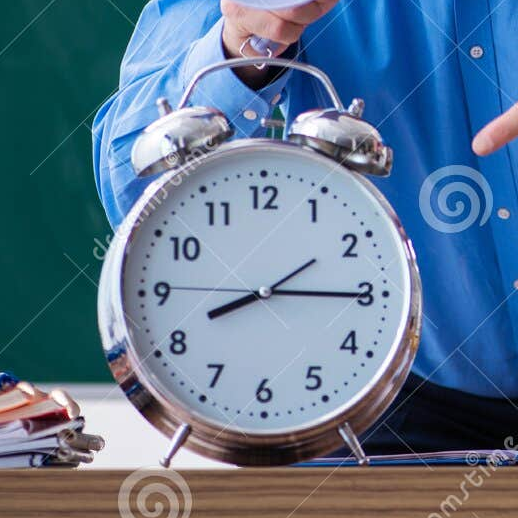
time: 8:15
